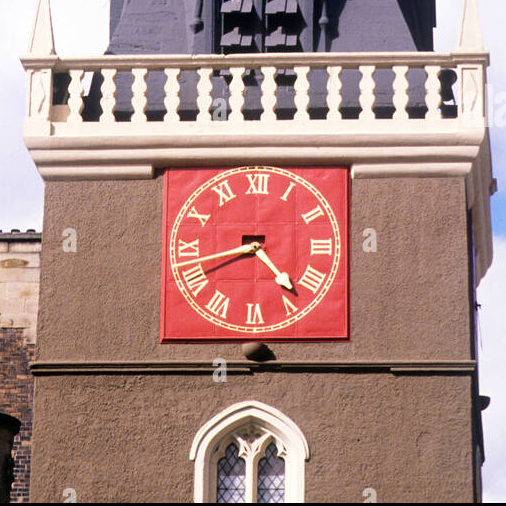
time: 4:42
